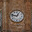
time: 12:47
